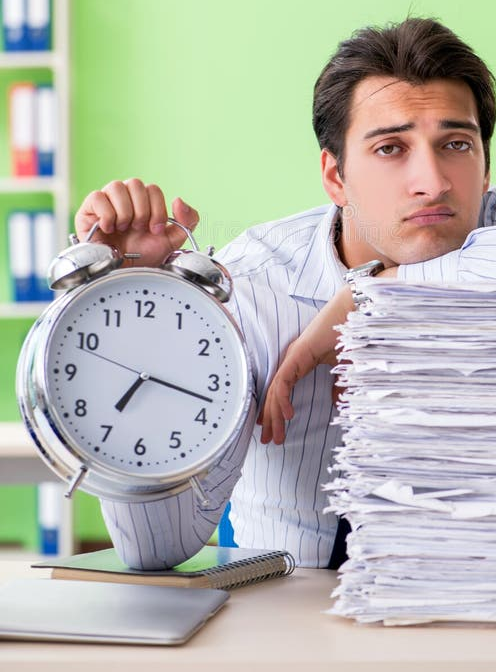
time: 7:17
